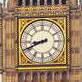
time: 8:41
